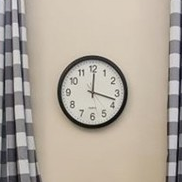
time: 12:17
